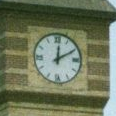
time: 12:10
